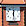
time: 12:28
